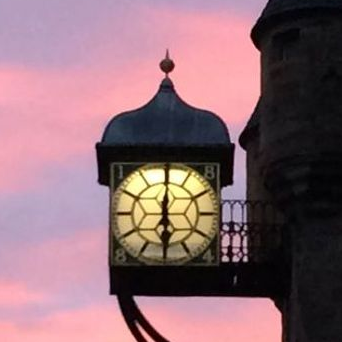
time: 6:00
